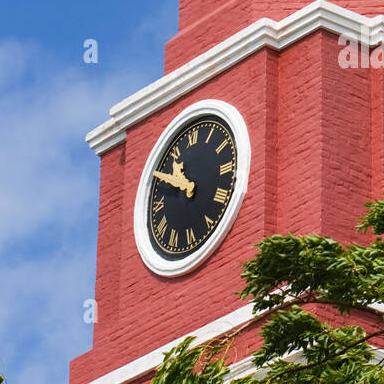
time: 10:50
